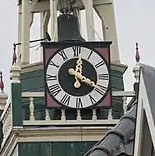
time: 12:19
